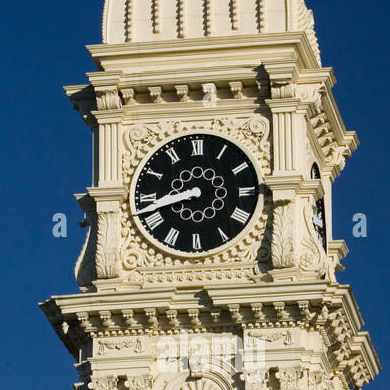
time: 8:42
